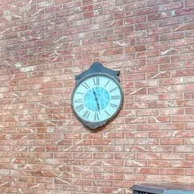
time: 11:28
